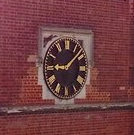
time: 9:08
